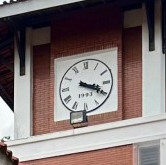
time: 3:19
